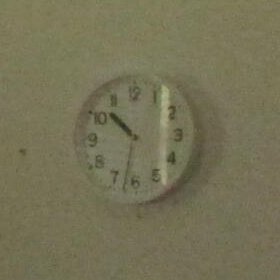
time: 10:32
